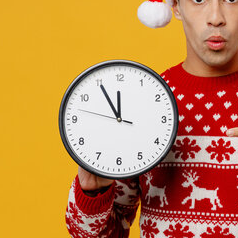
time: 11:54
